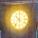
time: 10:36
